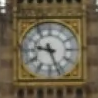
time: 9:26
